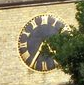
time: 4:35
